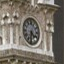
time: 4:31
